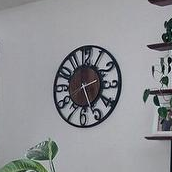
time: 2:26
